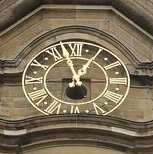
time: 12:57
